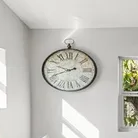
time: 9:41
